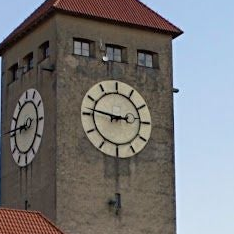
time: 2:46
